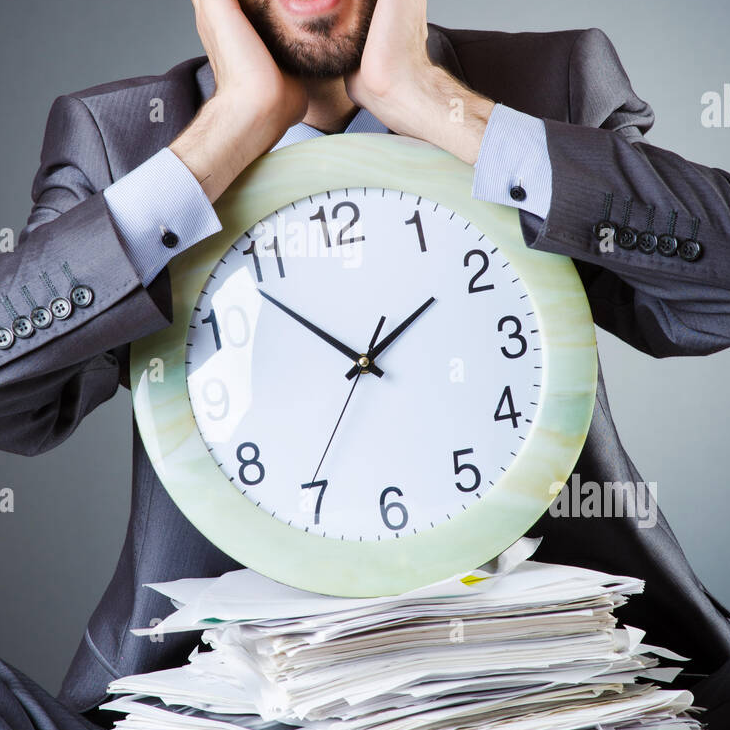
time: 1:53
